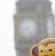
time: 4:42
